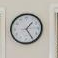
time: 1:24
